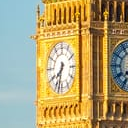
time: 7:32
